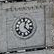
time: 12:22
